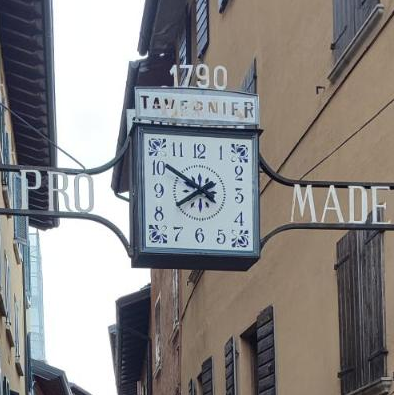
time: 7:50
